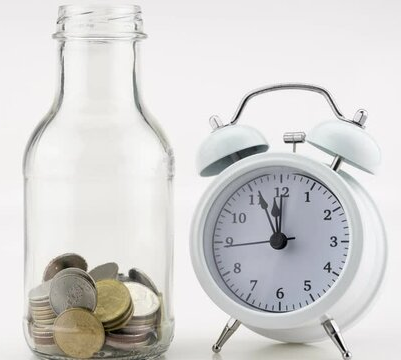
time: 11:56
